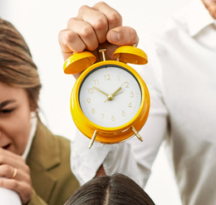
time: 1:52
